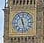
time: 11:27
